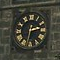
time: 2:32
